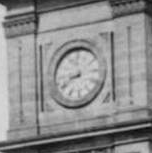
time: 8:40
